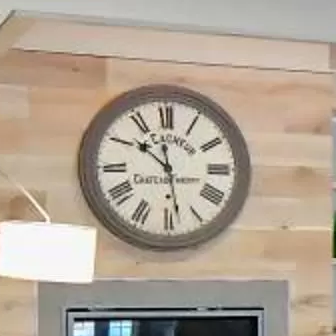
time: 10:28
